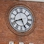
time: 8:26
